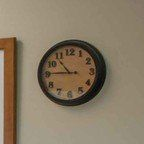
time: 10:45
